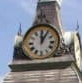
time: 12:05
